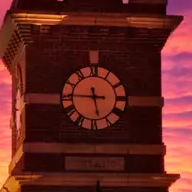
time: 5:45
